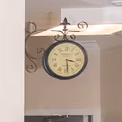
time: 3:29
